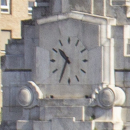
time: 10:34
